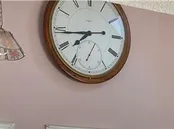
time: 7:43
